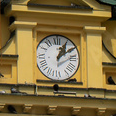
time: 1:09
